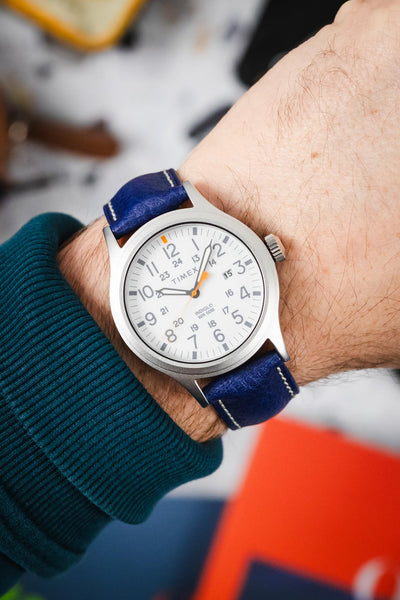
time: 12:44
